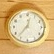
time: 12:36
